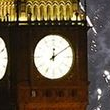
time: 12:09
